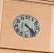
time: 4:22
